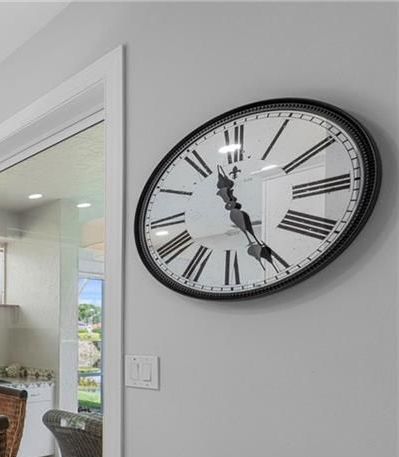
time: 11:25
